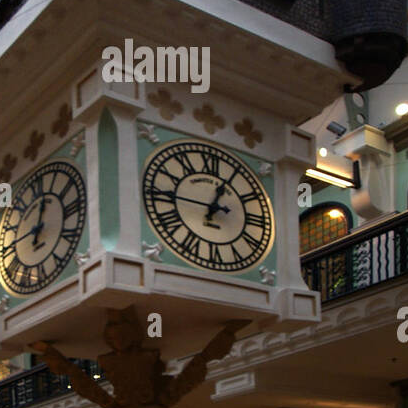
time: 12:45
